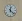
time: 12:22
